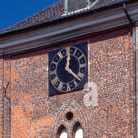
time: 12:21
